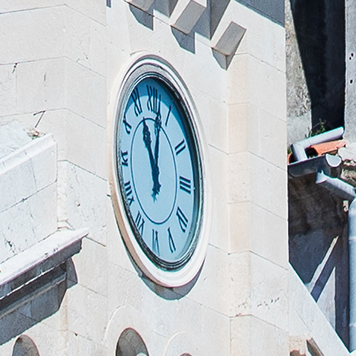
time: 11:02
